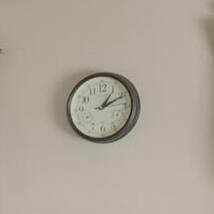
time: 1:10
